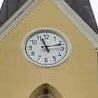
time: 11:12
